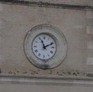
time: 11:10
